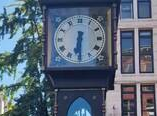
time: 6:30
